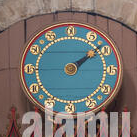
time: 2:08
